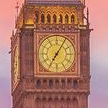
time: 7:05
